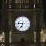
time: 6:46
